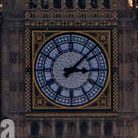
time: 3:07
